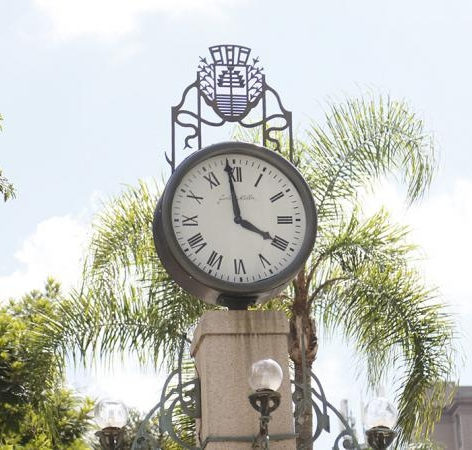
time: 3:58
